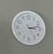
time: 3:12
